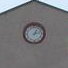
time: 1:12
